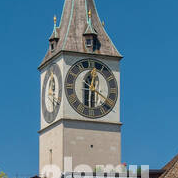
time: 12:30
